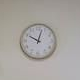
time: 10:02
